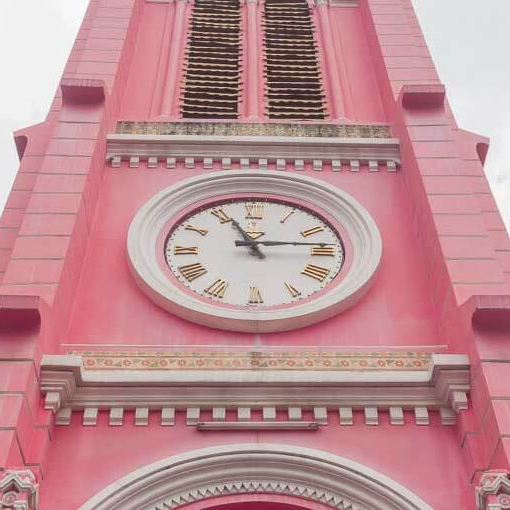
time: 11:13
